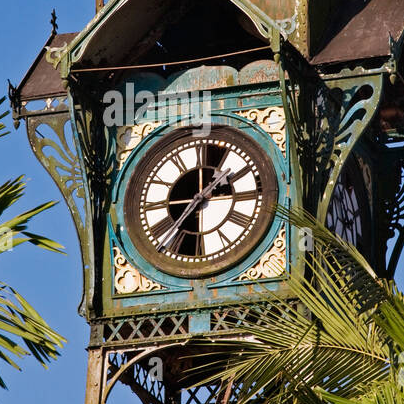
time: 1:36
